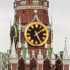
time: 1:26
